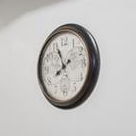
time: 7:55
